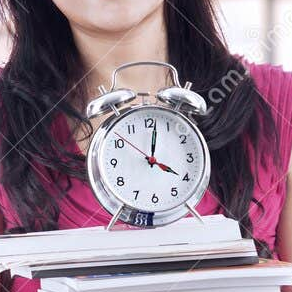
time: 4:01
